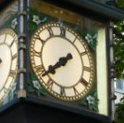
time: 7:38
